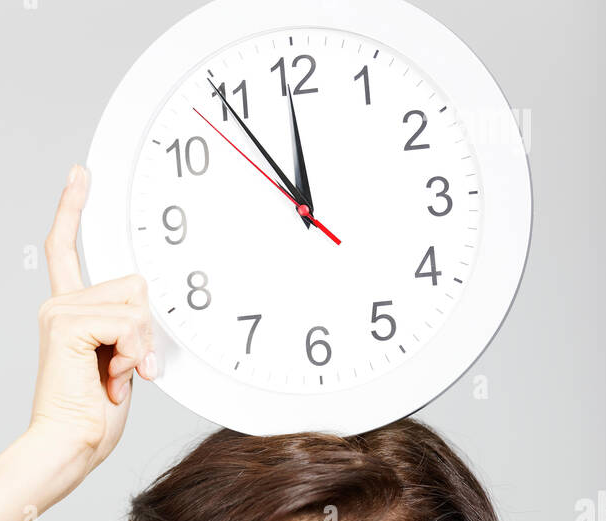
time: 11:54
